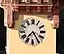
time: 7:24
